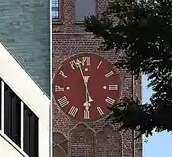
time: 5:57
